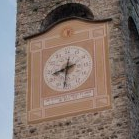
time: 8:32
